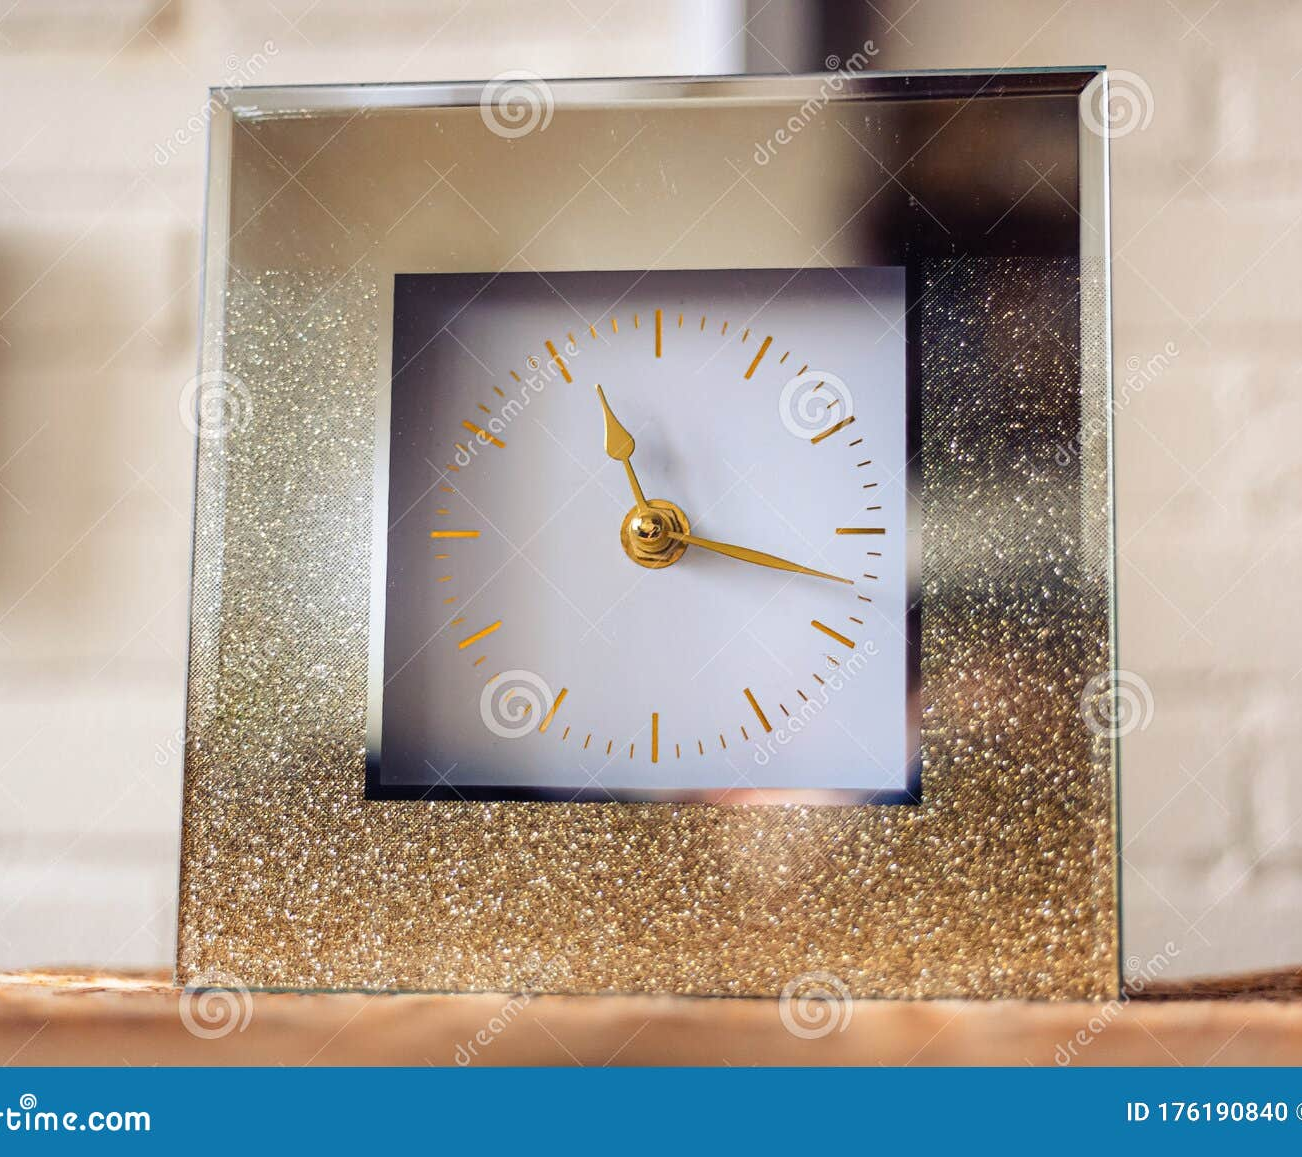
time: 11:17
